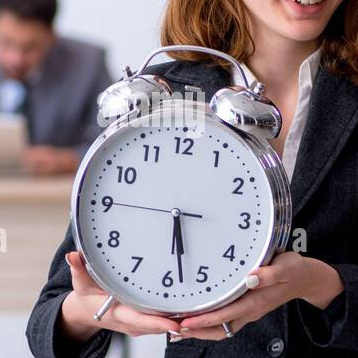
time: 5:28
